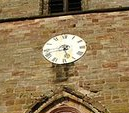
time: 8:27
